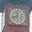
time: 11:42
